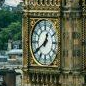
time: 12:39
